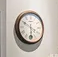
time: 5:49
